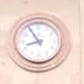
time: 8:54
